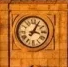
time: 3:04
